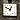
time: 12:49
